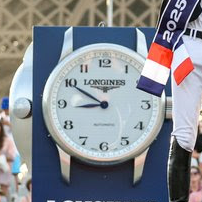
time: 8:50
